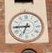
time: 6:44
